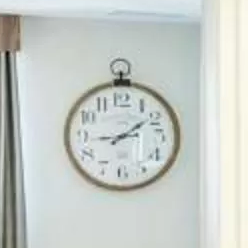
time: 1:43
